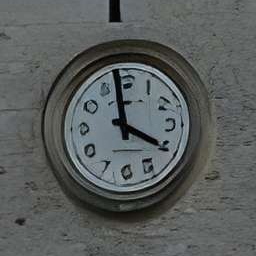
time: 3:58
